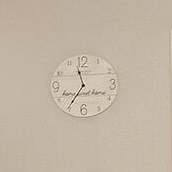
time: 11:35
